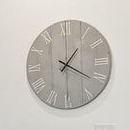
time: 1:20
